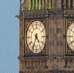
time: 4:34
